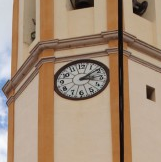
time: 3:09
